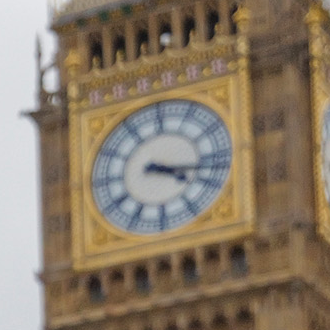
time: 4:17
